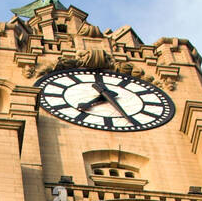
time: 7:25
